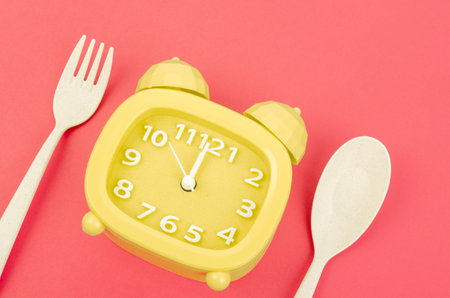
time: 12:00
